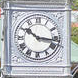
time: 10:16
